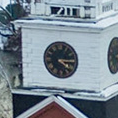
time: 4:14
